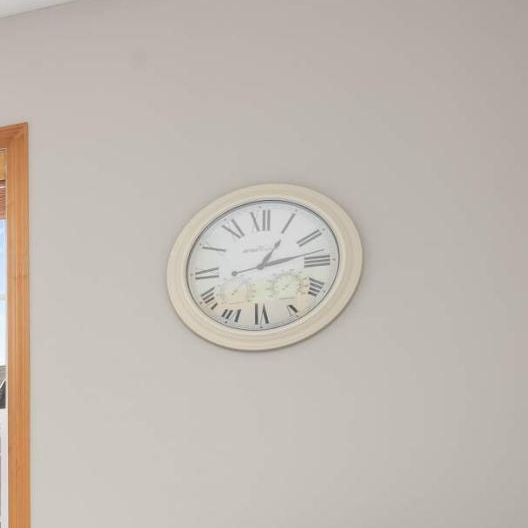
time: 1:12
